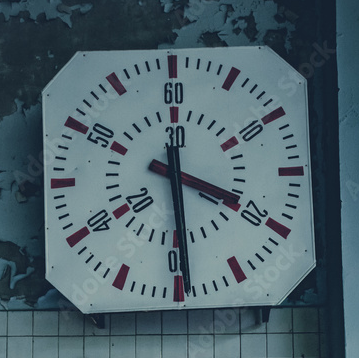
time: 3:29
